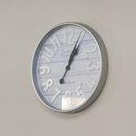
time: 1:04
